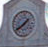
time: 1:39
